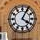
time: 4:04
